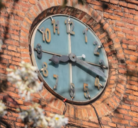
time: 8:18
